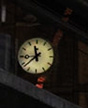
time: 11:38
